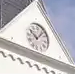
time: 10:07
